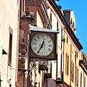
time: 12:34
